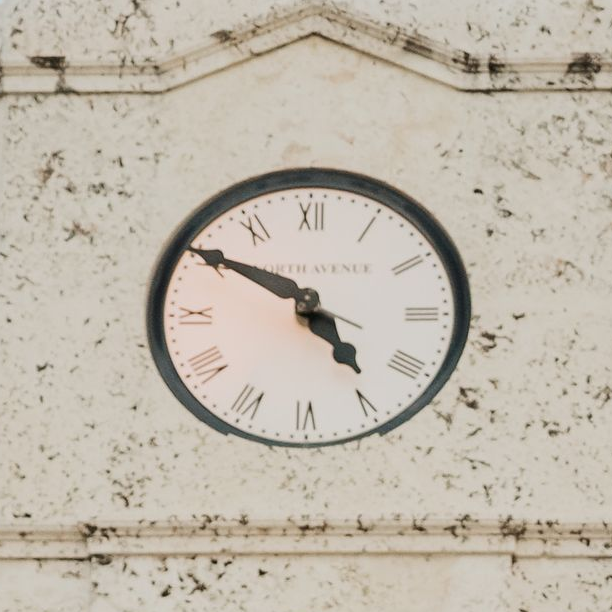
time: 4:50
